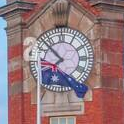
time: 7:52
